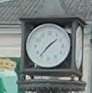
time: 1:36
